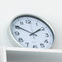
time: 1:50
